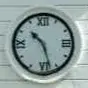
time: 10:27
